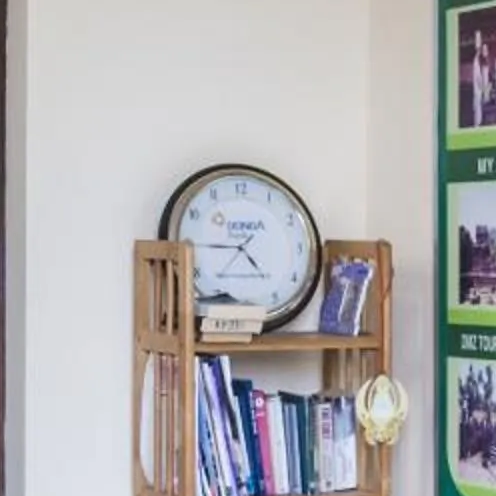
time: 4:44
